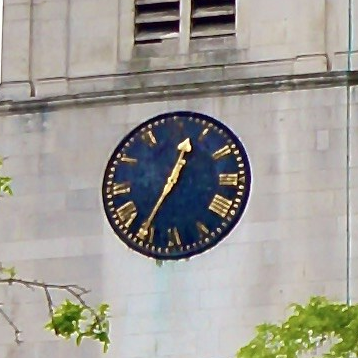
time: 12:35
